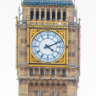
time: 4:11
